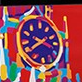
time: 3:39
